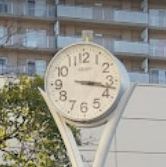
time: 3:17
